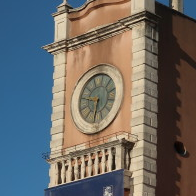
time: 5:45
